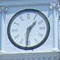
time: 1:31
